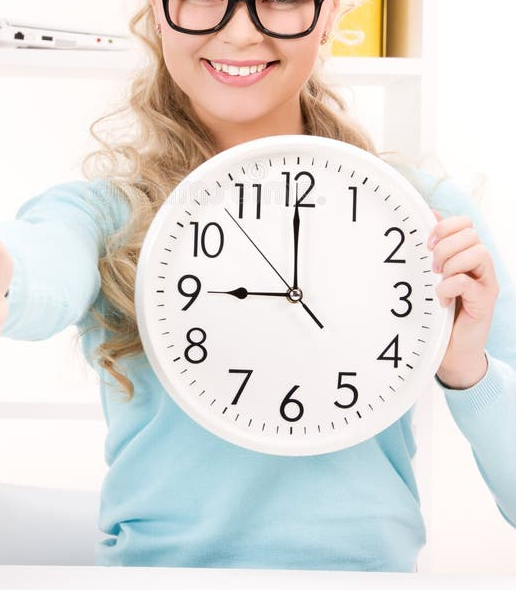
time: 8:59
